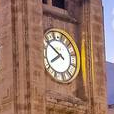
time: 7:50
